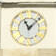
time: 11:07
